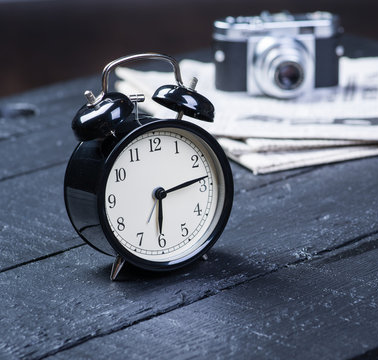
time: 6:13
